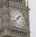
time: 1:38
